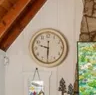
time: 9:30
